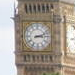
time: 3:12
